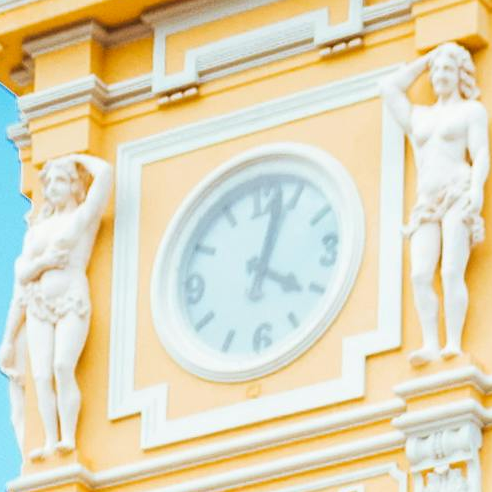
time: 4:02
